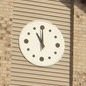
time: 11:00
